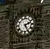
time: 2:25
